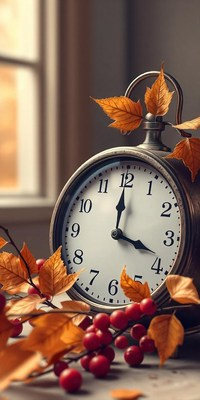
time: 4:00
